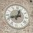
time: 12:42
